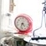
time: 4:32
